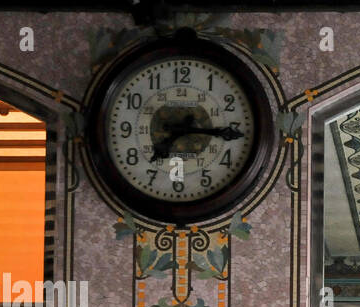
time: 7:15
